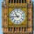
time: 10:43
